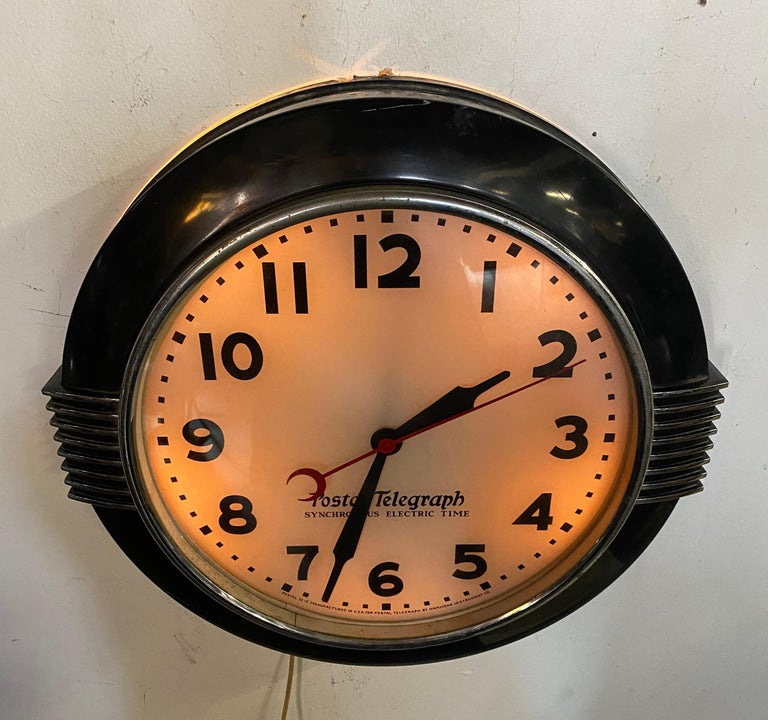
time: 1:33
